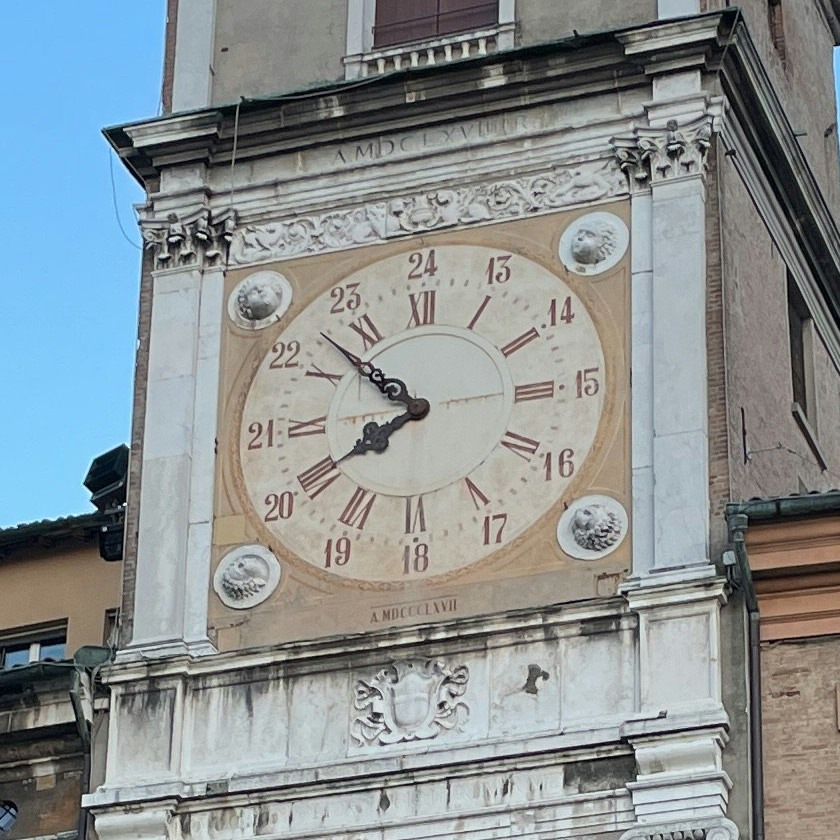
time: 7:52
